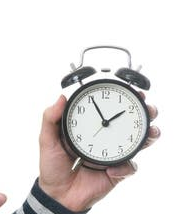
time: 1:55
